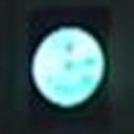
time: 12:13
